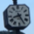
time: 8:25
